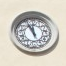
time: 11:55
